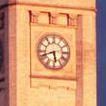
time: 5:41
